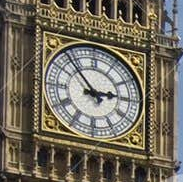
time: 2:53
